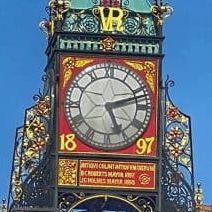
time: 5:12
